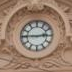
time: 2:45
